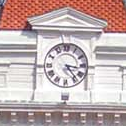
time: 3:23
